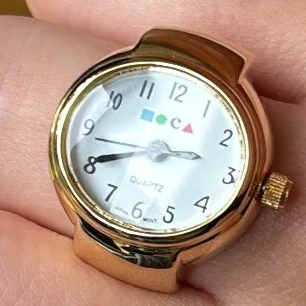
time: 2:40
